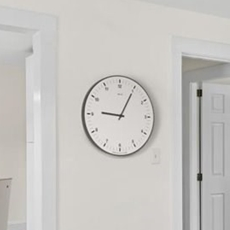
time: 9:05
